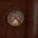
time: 7:22
